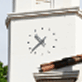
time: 10:37
